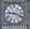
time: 9:18
